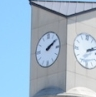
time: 2:09
